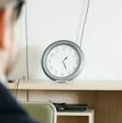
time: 1:26
